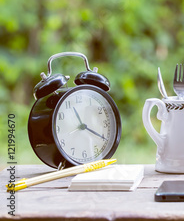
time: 11:20
